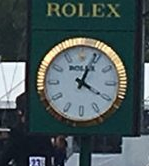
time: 4:04
